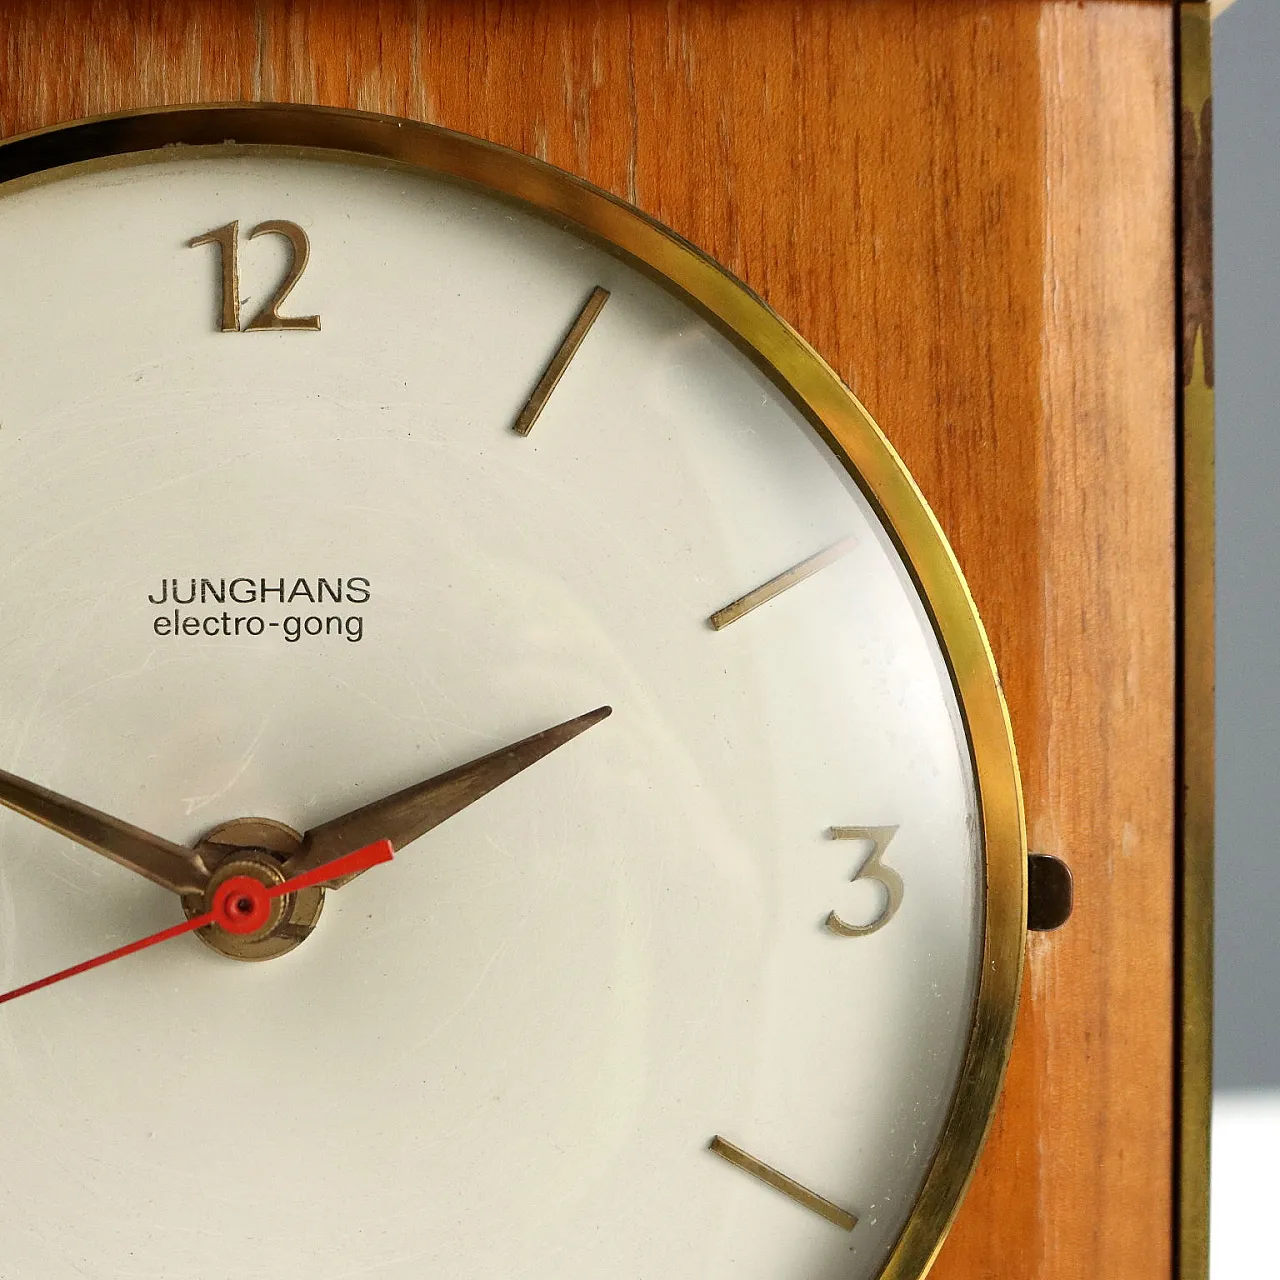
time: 9:10
